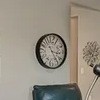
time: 3:24
